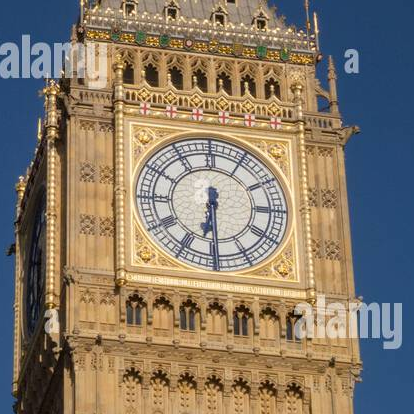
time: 6:29
